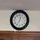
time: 12:34
